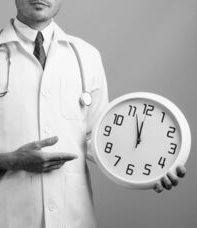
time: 11:56
